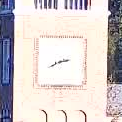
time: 2:40
